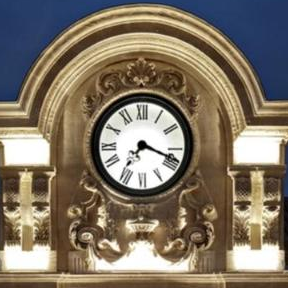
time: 7:18
